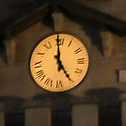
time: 4:59
